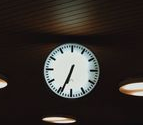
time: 6:34
